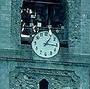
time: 1:16
